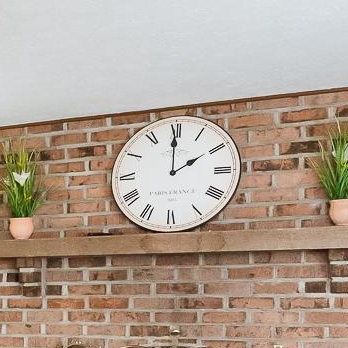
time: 1:59
